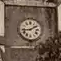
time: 1:43
